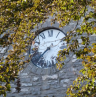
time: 7:37
